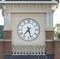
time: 7:27
